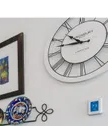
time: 10:47
